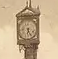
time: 6:25
